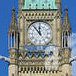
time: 11:53
